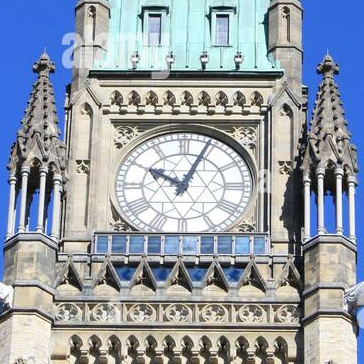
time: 10:03
